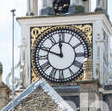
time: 11:48
